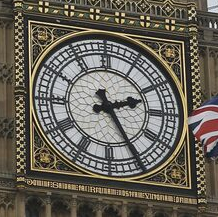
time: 2:25
